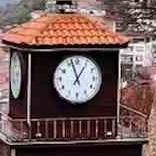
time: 12:57
